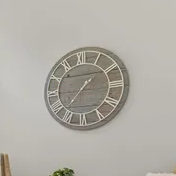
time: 1:37
